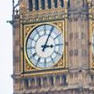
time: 3:04
